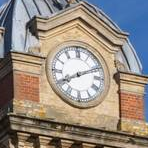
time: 8:11
